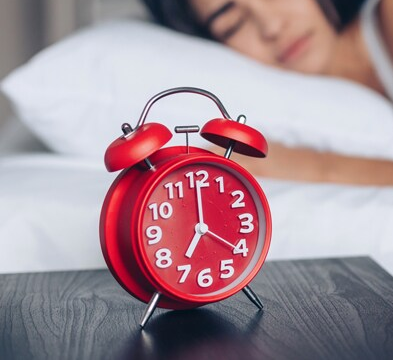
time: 7:00
